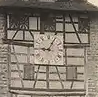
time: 9:05
